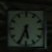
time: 5:34
